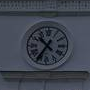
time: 10:35
